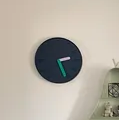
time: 2:26
